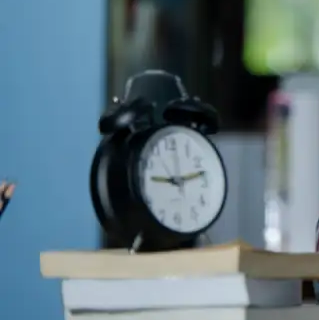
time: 9:12
